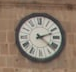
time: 2:21
